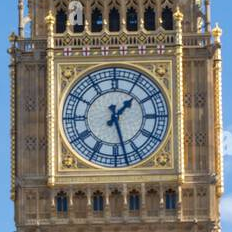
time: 1:27
